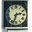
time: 2:33
